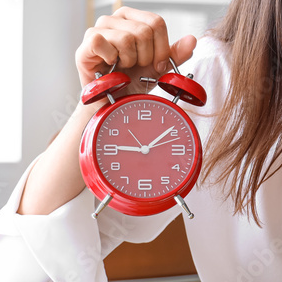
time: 9:08
